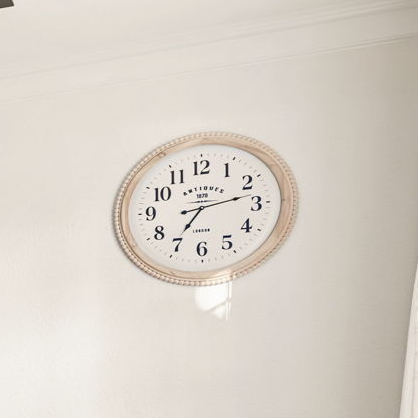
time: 7:12
